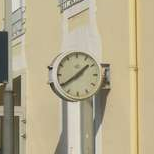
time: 1:39
